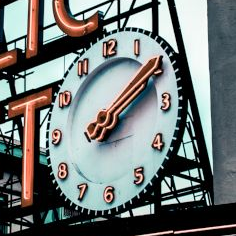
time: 2:09
